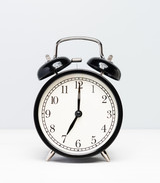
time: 7:00
